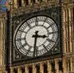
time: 3:31
